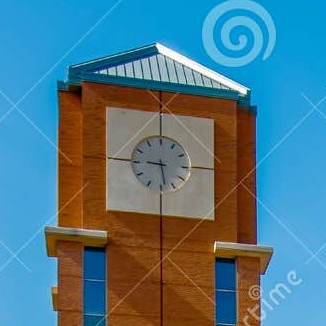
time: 5:45
